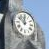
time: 11:51
